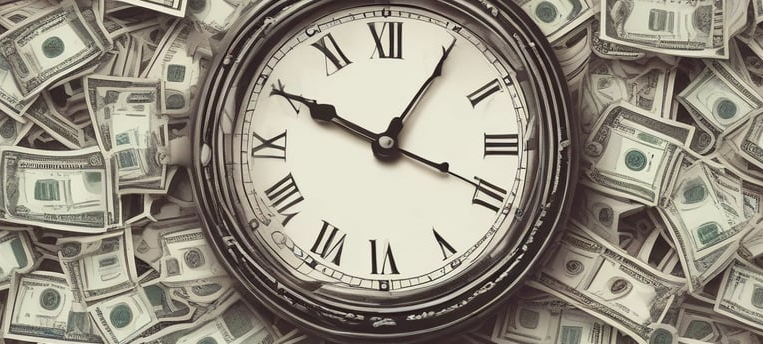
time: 10:05
